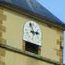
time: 2:56
